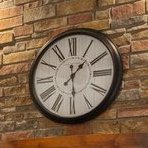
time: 1:29
